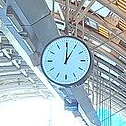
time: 1:00
